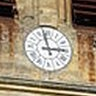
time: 2:57
